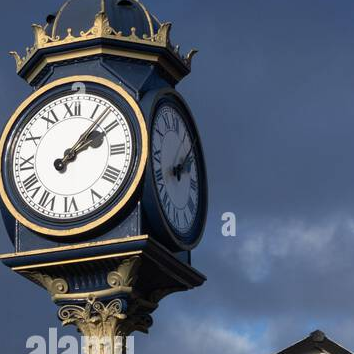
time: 2:07
